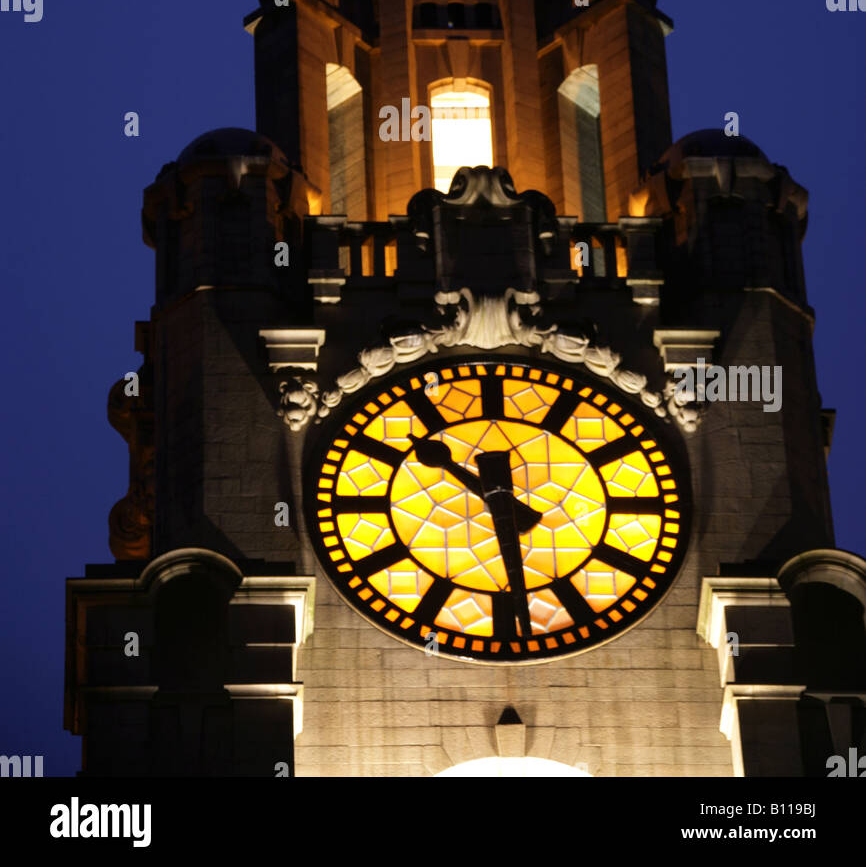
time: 10:28
